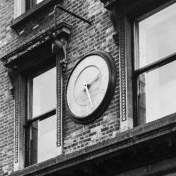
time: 2:24
